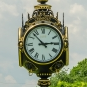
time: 2:52
